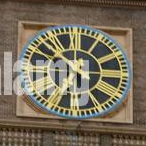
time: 5:51
